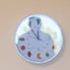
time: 11:53
